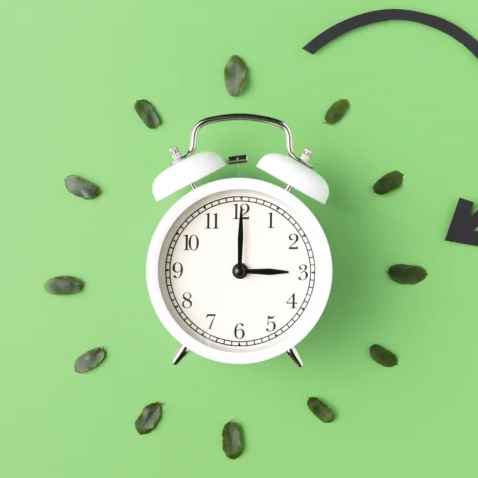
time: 3:00
